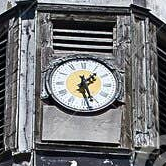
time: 1:27
